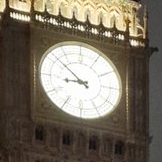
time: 8:51
